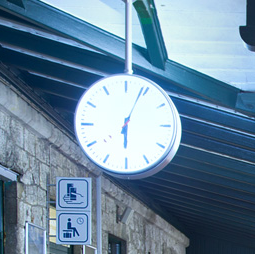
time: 6:03
